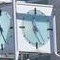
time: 11:25
